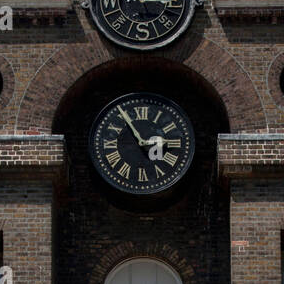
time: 2:54
